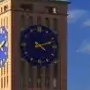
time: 4:12
